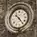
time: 10:23
